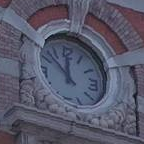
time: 11:52
